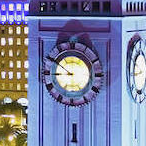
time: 8:50
